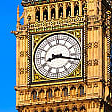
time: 8:17
